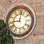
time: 9:01
